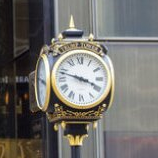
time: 3:47
